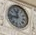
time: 11:42
